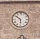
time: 5:51
